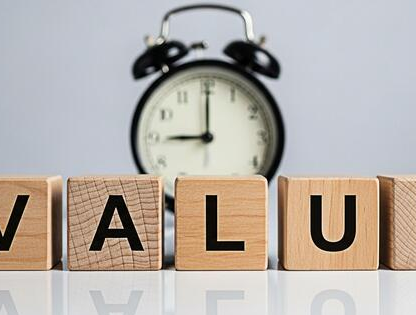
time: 9:00
